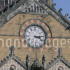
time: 3:14
